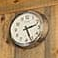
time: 2:26
